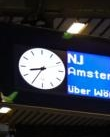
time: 8:35
